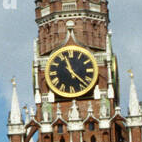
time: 11:22
